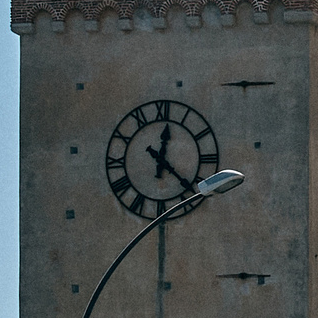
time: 12:22
